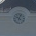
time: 4:04
